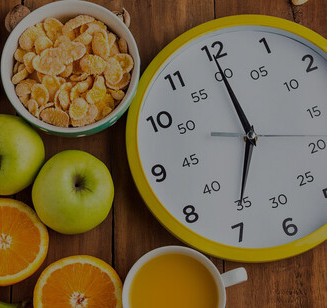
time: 6:59
